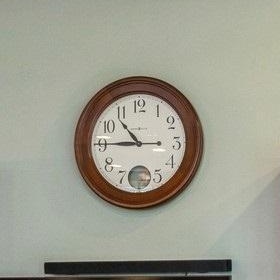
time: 10:45
